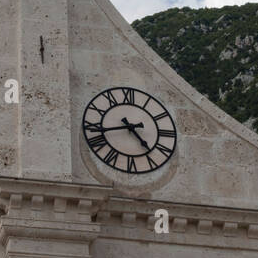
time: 4:42
